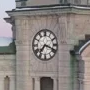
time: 7:18
